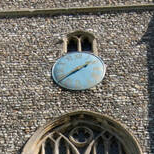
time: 1:38
